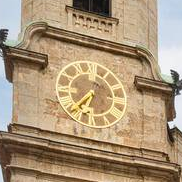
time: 6:36
